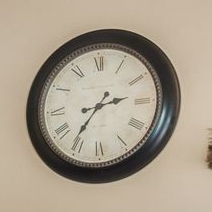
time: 2:36
